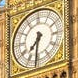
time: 7:31
